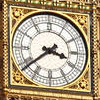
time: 3:38
